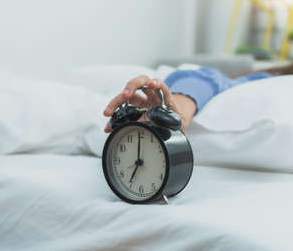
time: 7:00
